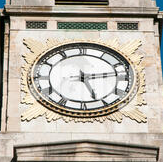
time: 5:13
